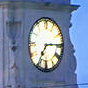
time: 7:14
